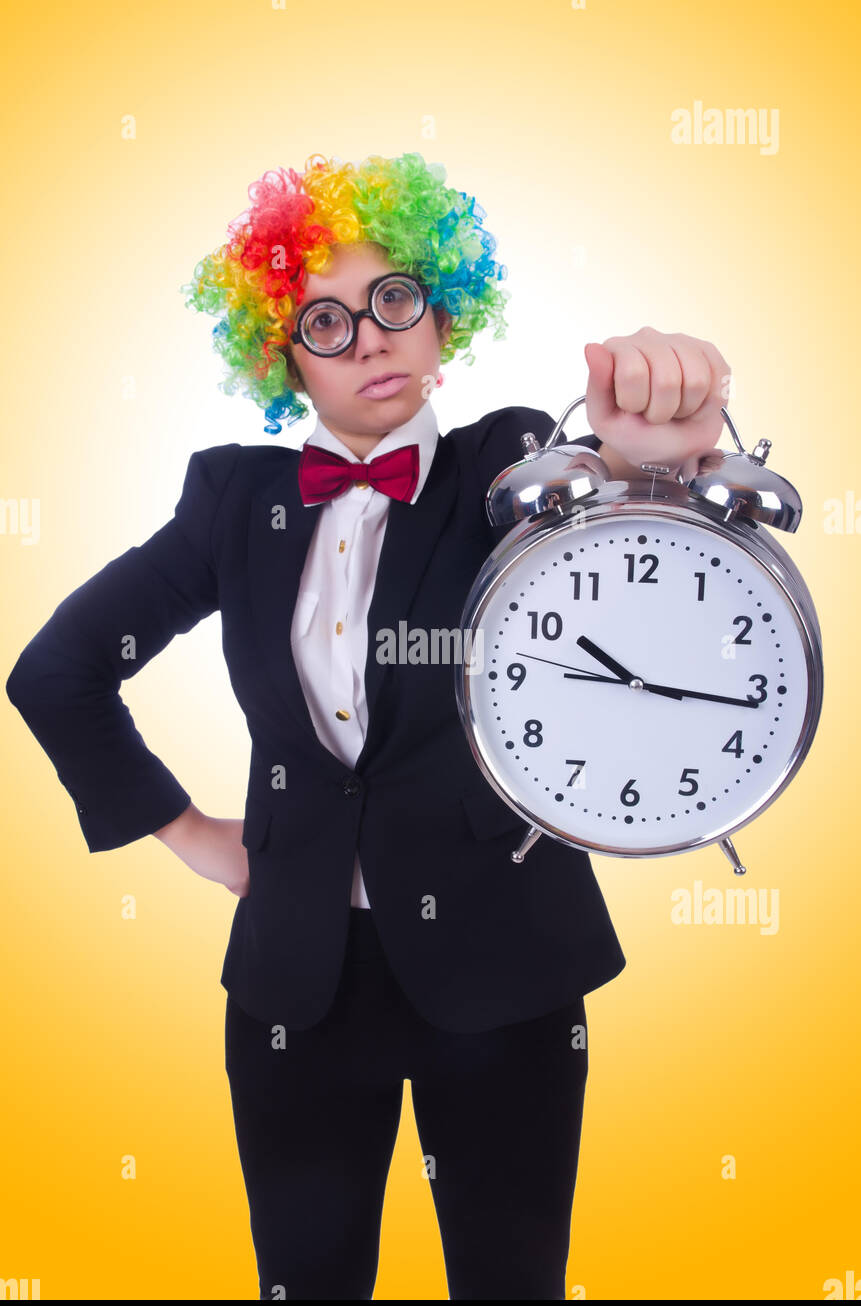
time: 10:16
